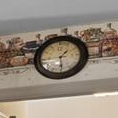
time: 1:28
